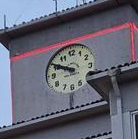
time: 9:50
